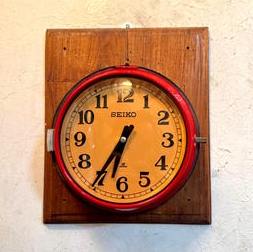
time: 6:35
